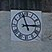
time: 2:56
